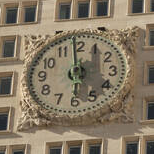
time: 5:59
